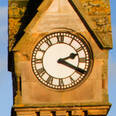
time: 2:19
